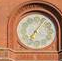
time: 7:06
